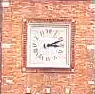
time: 3:11
